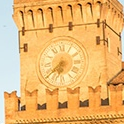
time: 6:38
